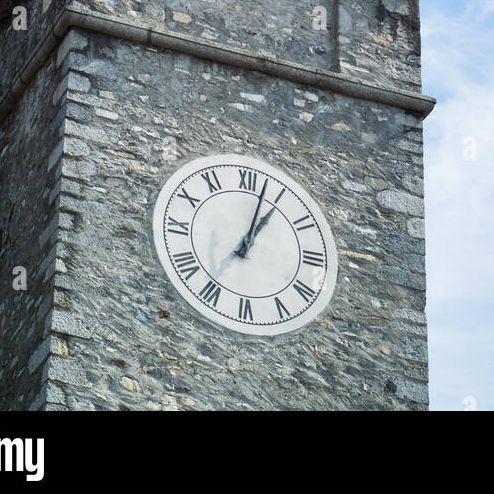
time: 1:02
